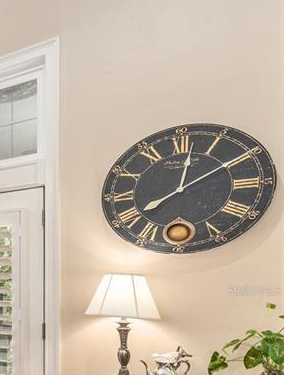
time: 8:01
